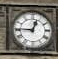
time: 12:45
